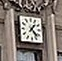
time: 1:22
